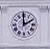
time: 1:59
